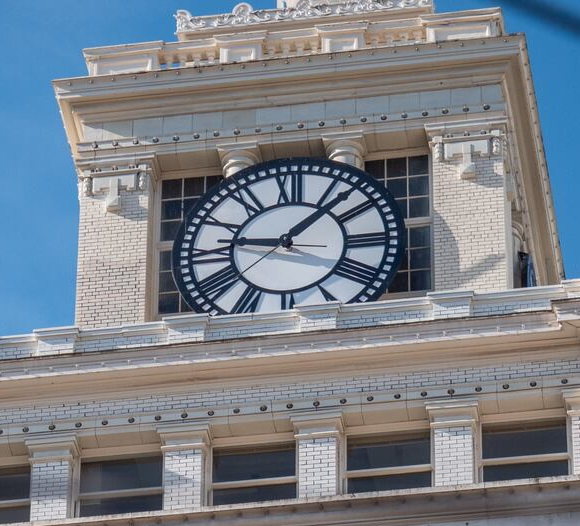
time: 9:07
